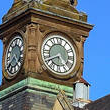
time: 4:40
